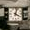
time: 4:02
